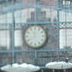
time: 11:40
